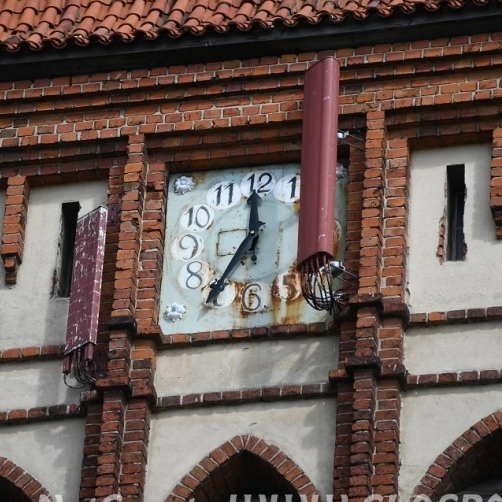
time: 12:36
